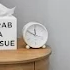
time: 11:49
